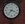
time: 3:36
